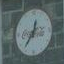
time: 12:36
